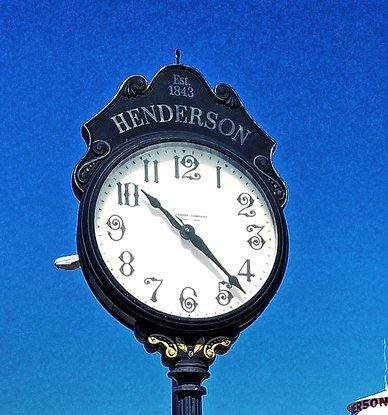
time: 10:22
